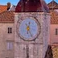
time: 12:25
